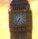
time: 6:35
